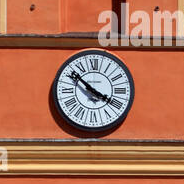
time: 3:51
